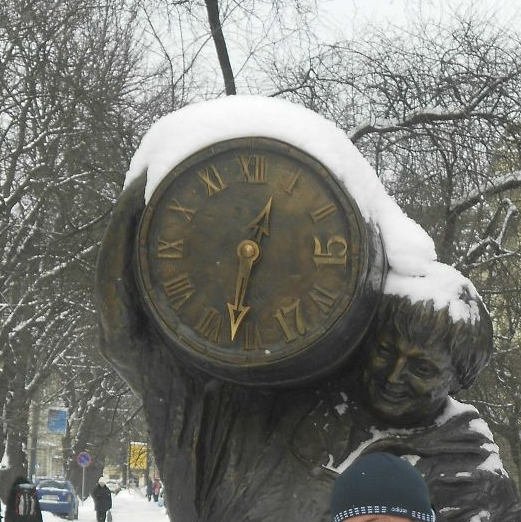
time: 12:32
